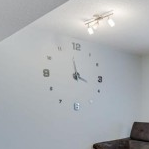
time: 3:58
